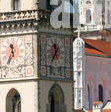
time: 11:35
